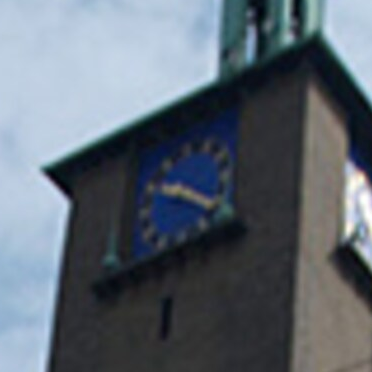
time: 9:20
